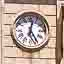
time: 5:02
